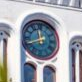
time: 11:41
